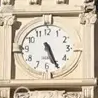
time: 5:26
